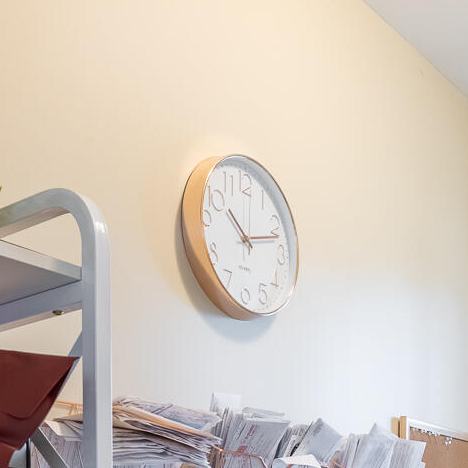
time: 10:12
